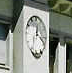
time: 12:19
